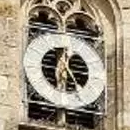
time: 12:24
